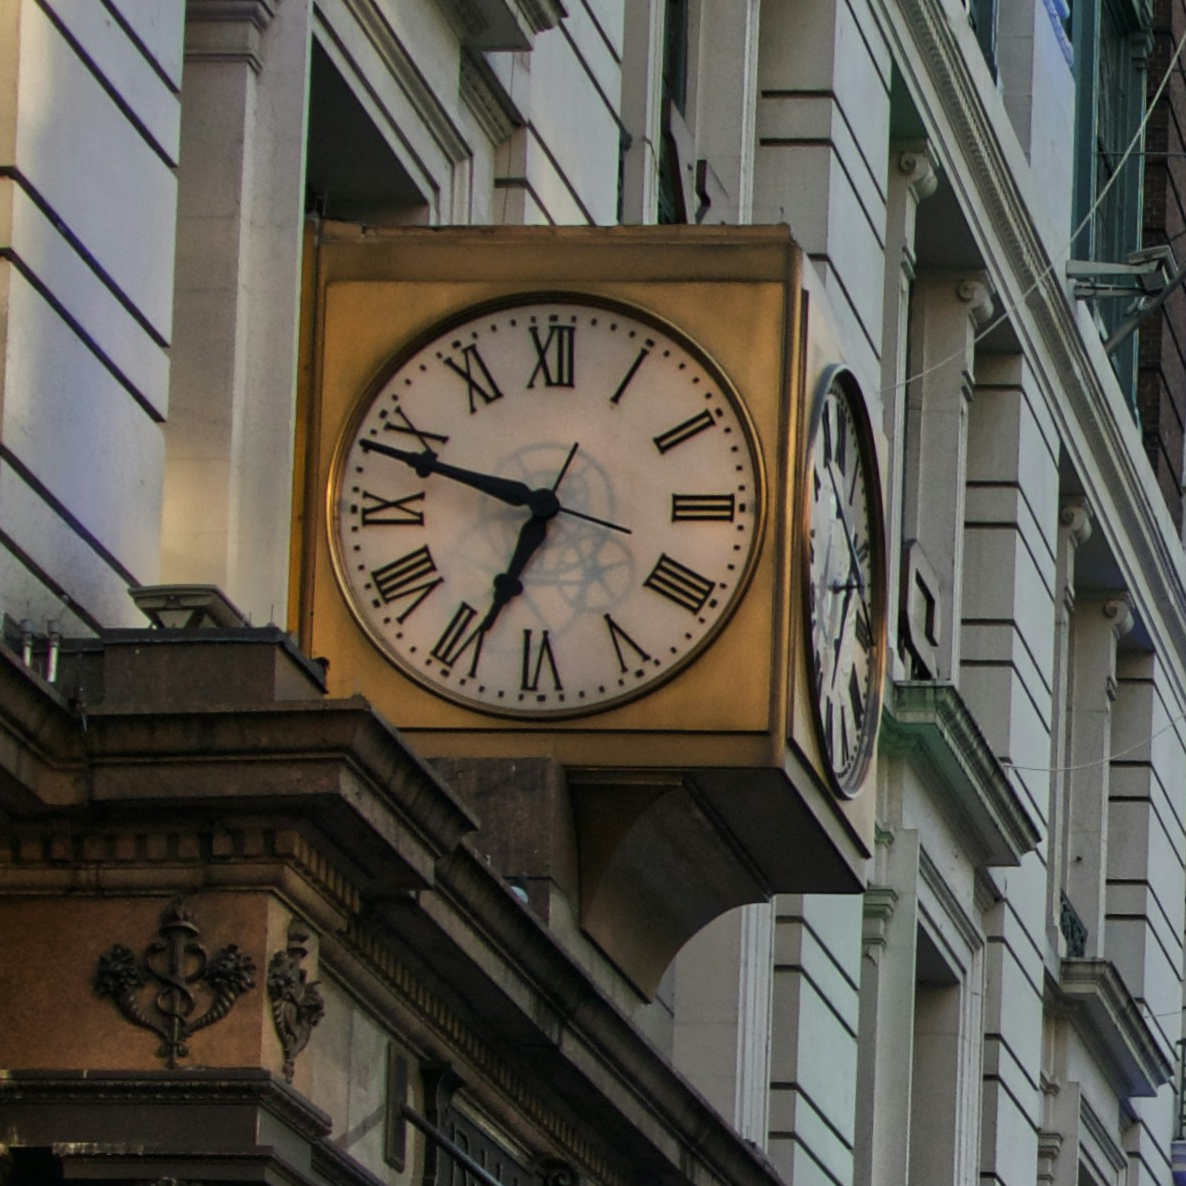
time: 6:47
